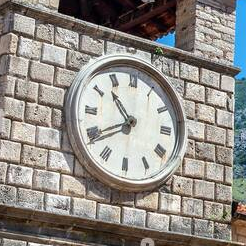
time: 10:39
